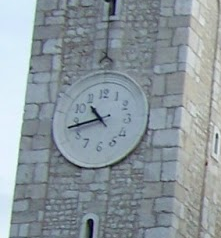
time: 10:42
